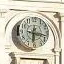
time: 6:16
